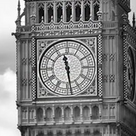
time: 11:28
